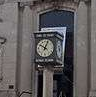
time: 10:03
